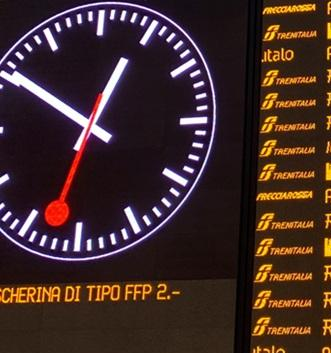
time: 12:50
